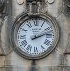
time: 2:11
